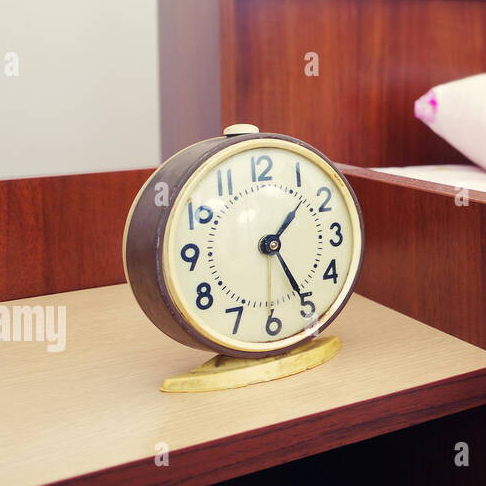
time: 1:25
